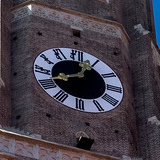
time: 12:41
